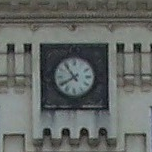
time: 7:54
